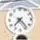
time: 7:23
